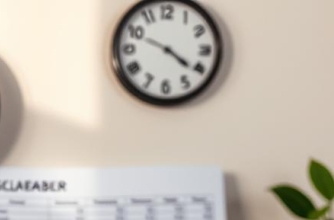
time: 4:20
